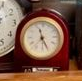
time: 11:25
